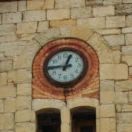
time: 12:44
